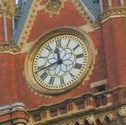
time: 11:43
